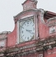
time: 3:21
